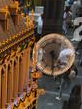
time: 4:30
